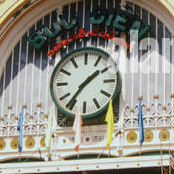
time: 1:36
